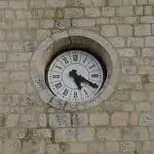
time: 5:19
